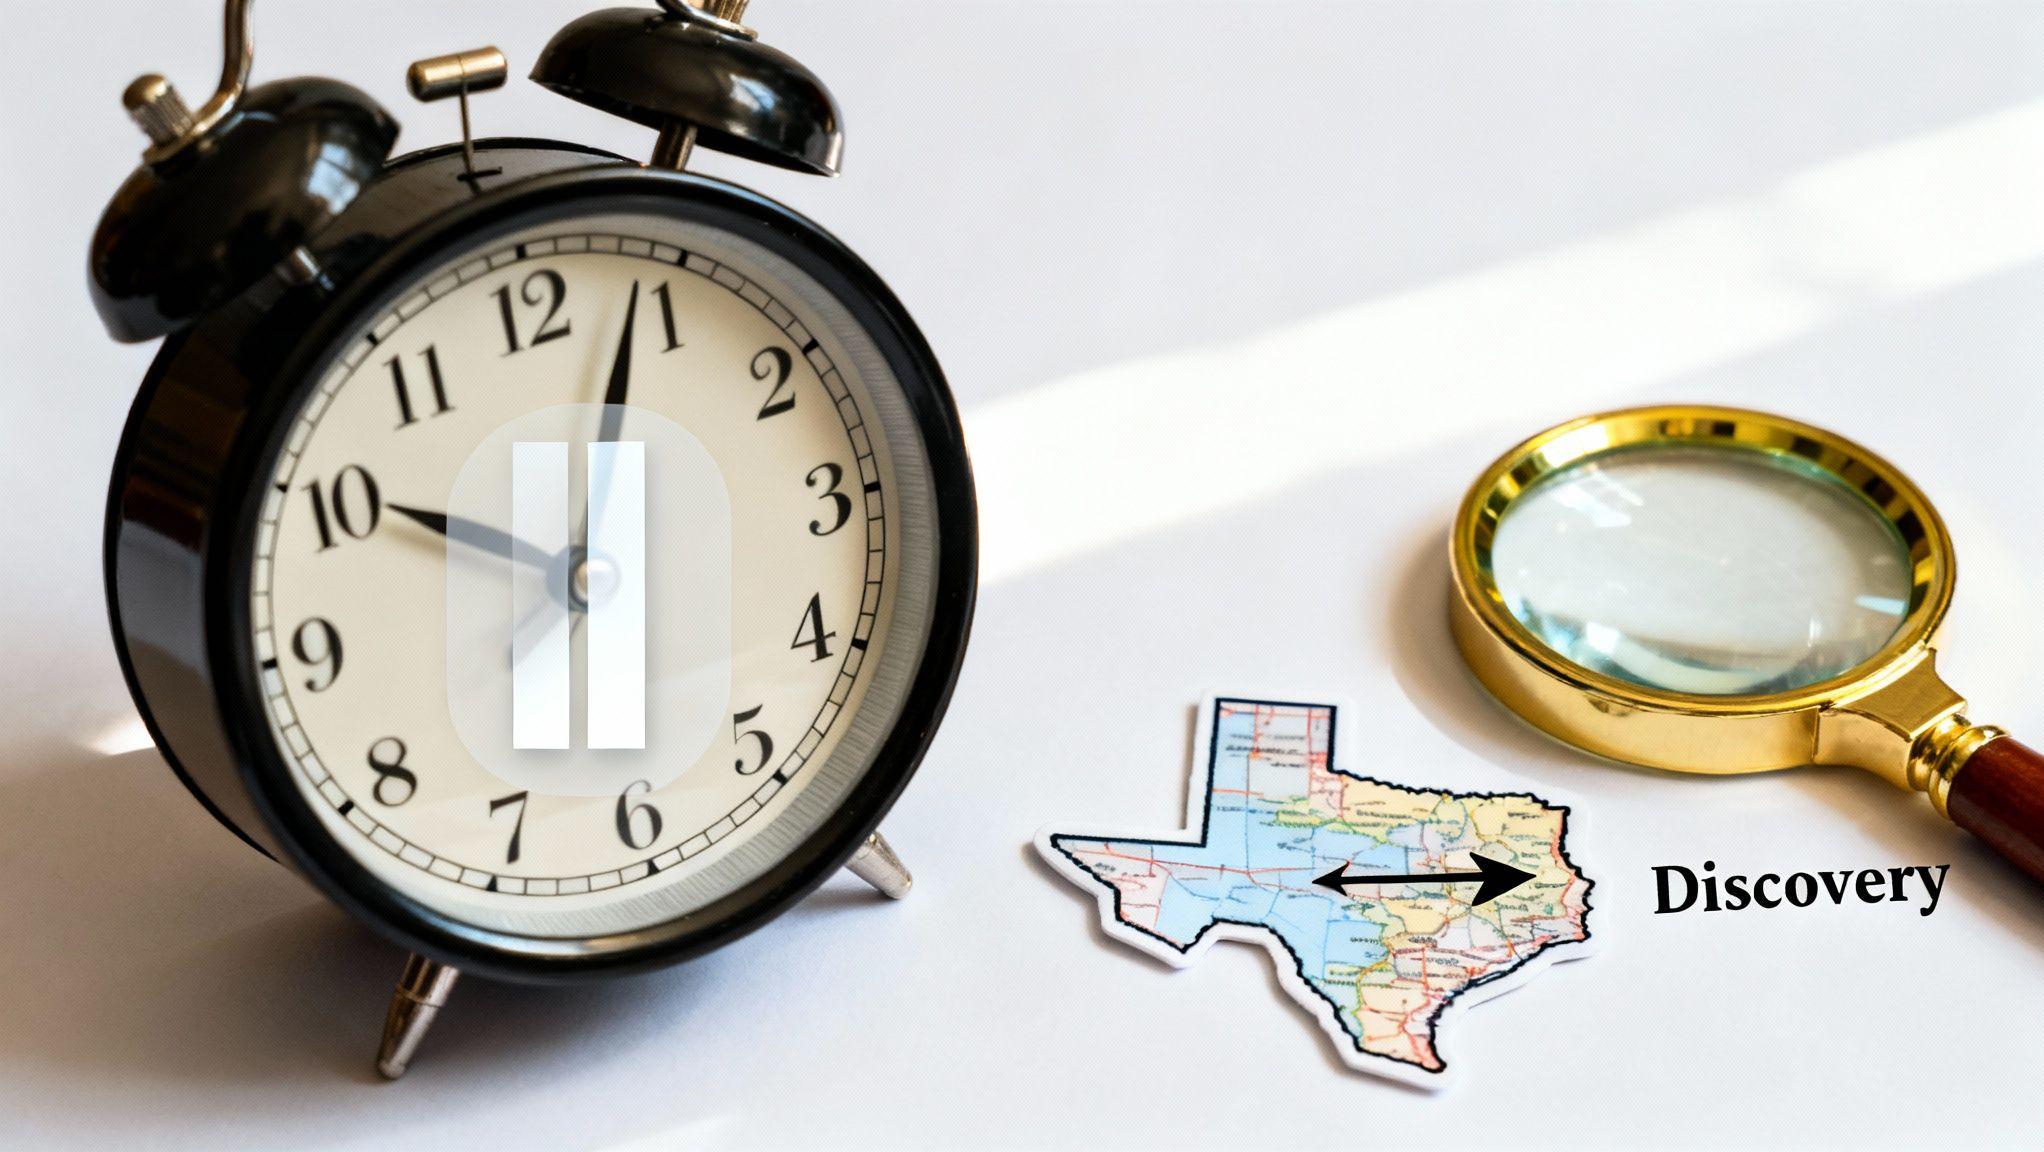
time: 10:03
